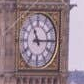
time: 11:14
